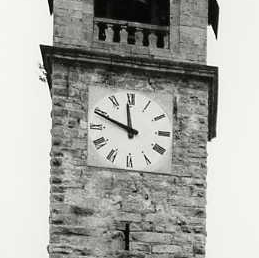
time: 11:48
